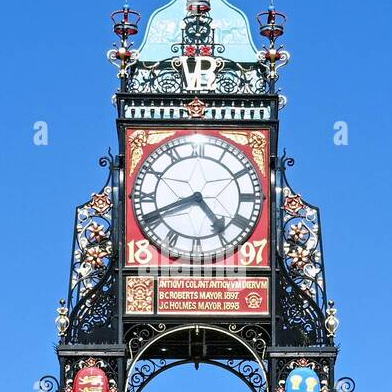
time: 4:41
